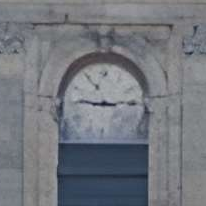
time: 2:46
